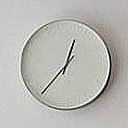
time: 12:36
